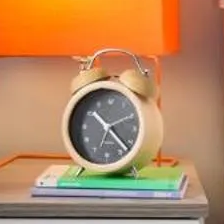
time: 10:22
